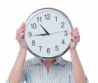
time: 10:44
